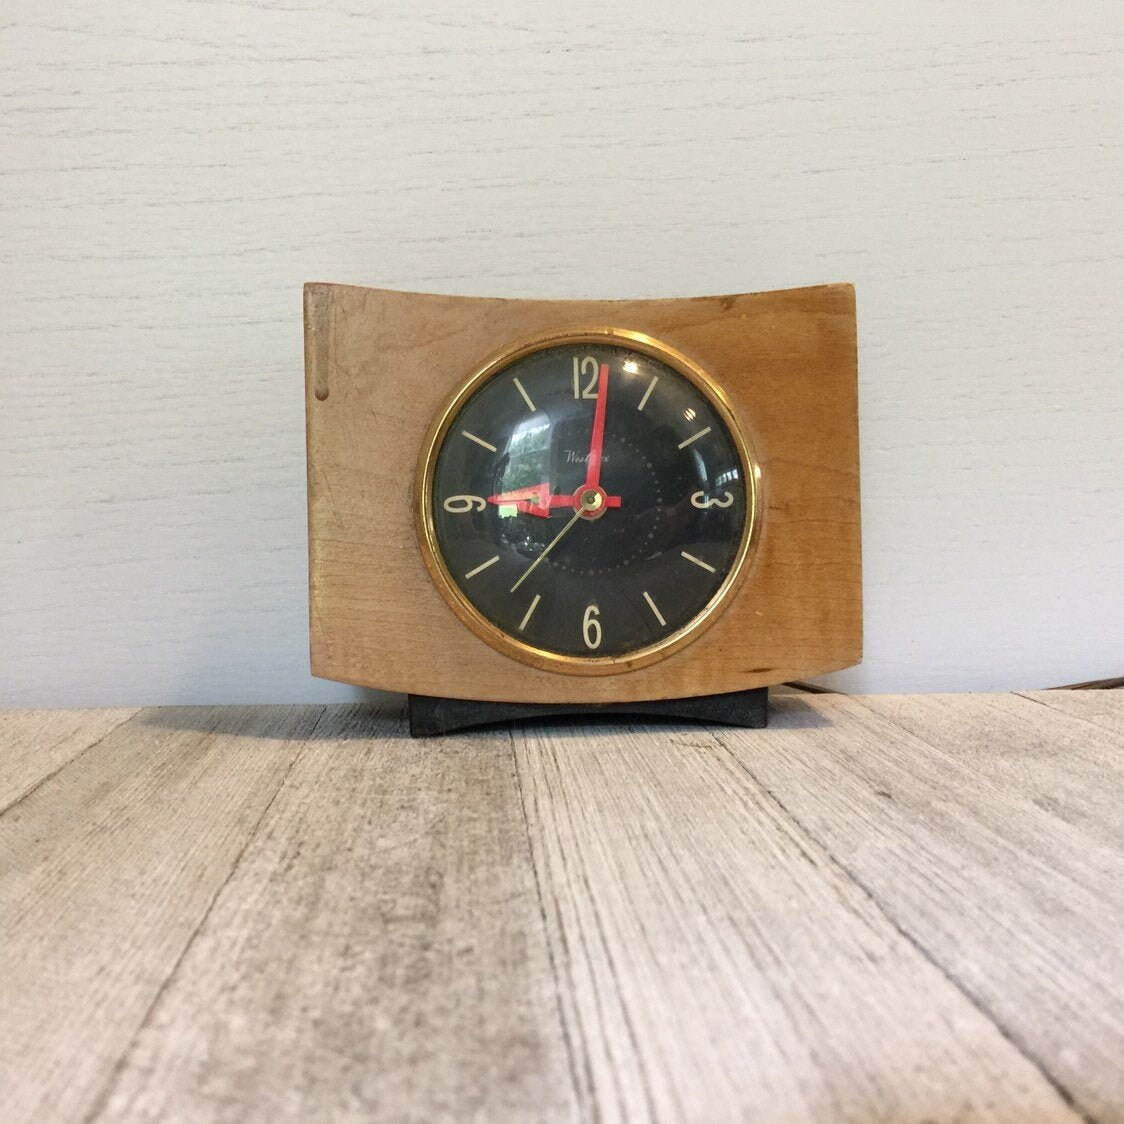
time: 9:01
